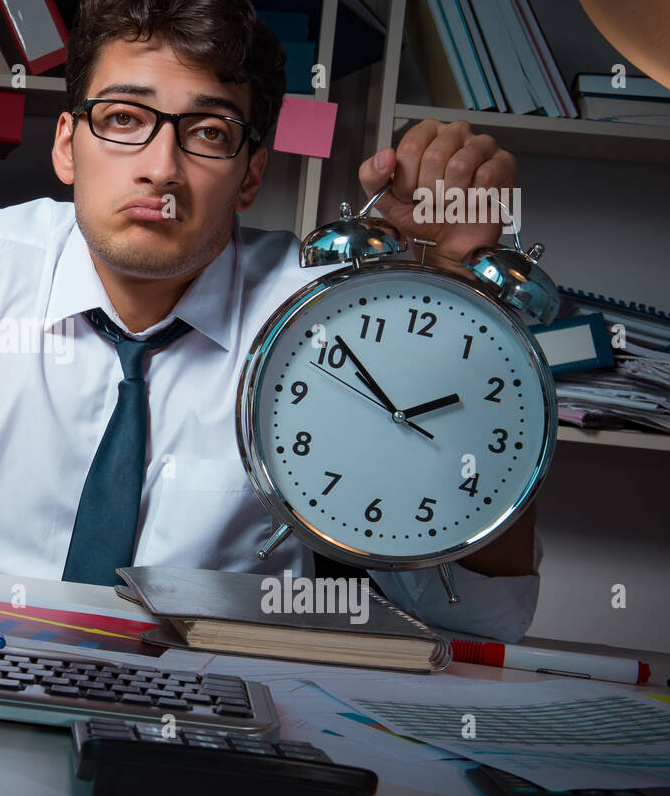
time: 1:51
